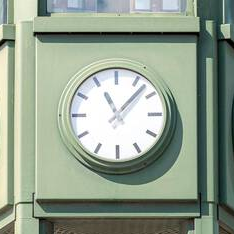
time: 11:07
